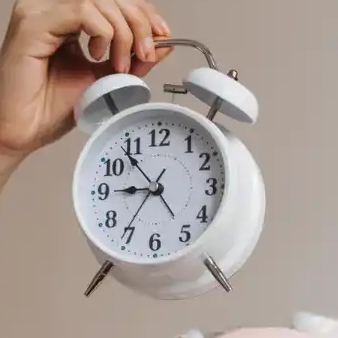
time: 8:53
